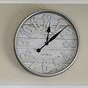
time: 12:07
